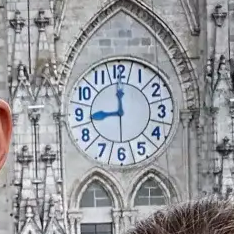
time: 8:59
